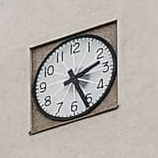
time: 2:26
